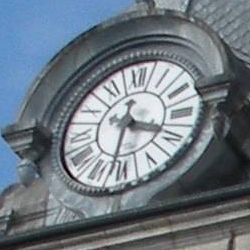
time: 3:32
